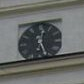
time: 12:26
